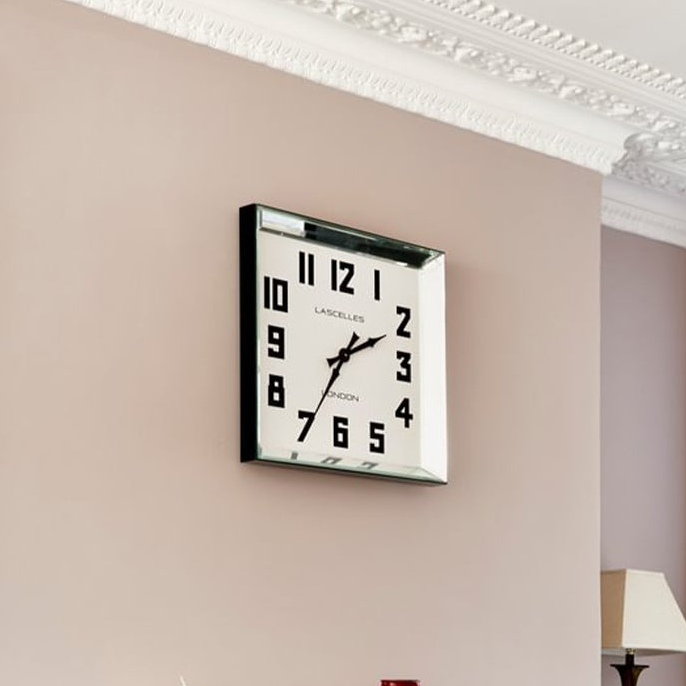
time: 1:34
